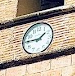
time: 1:45
